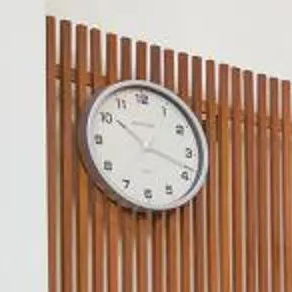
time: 10:18
